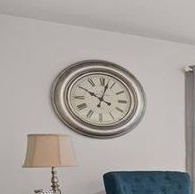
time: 10:02
